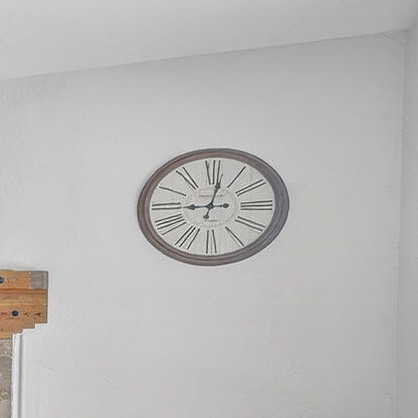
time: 9:01
